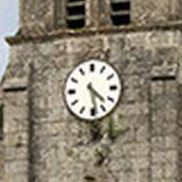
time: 4:28
